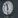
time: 11:28
